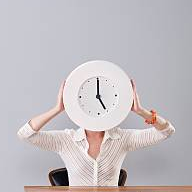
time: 5:00
